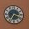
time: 7:18
